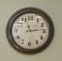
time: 11:13
